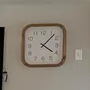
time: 4:07
